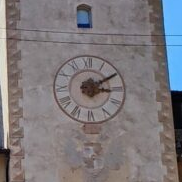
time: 3:10
